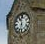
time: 11:32
